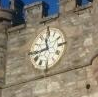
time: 11:43
